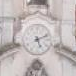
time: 5:11
